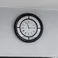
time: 11:14
